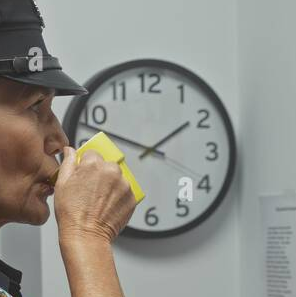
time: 1:48
